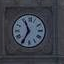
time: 11:35
